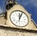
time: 12:03
